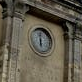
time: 5:59
